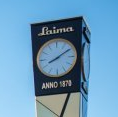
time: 8:09
